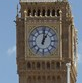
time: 1:01
